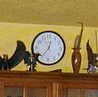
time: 12:35
